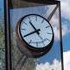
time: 10:40
